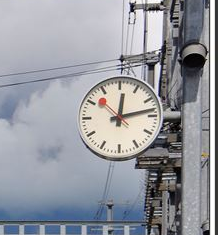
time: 12:13
